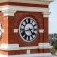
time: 4:42
